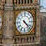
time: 4:22
